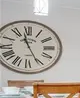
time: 11:25
